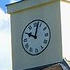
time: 10:02
